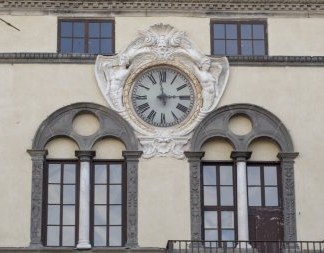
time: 2:58
